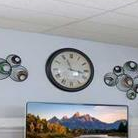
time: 11:16
